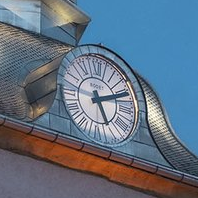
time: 5:11
